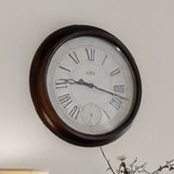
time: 9:17
